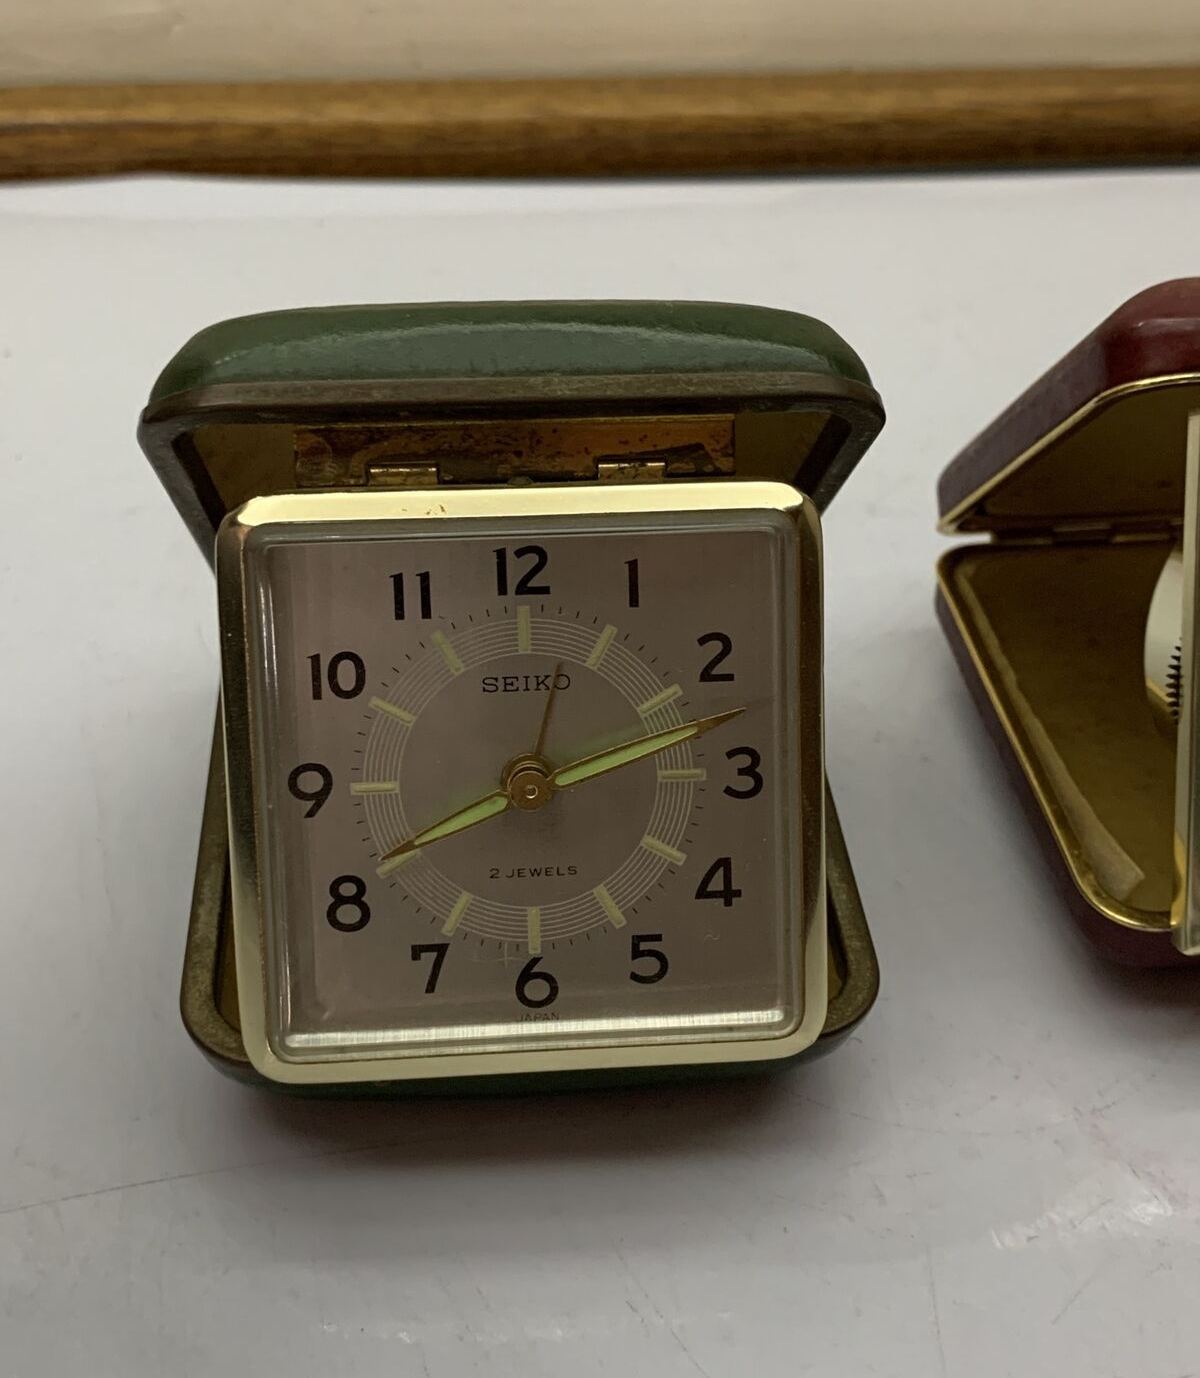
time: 12:41
